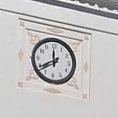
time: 11:39
